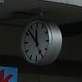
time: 11:52
